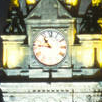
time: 10:45
